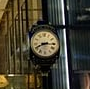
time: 8:15
